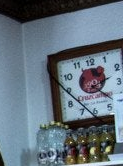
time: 2:21
